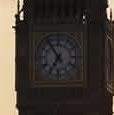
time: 6:54
